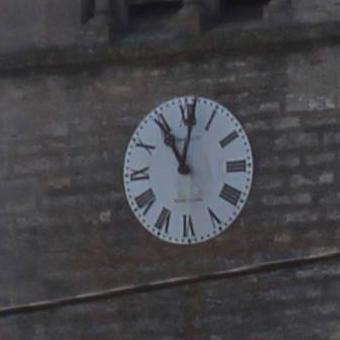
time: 11:01
